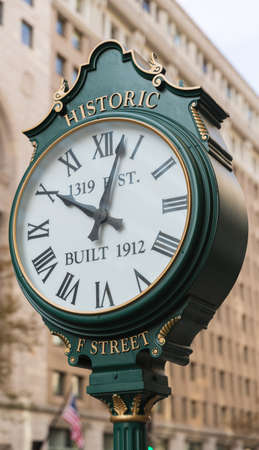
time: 10:02
